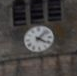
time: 4:07
